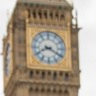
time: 8:20
